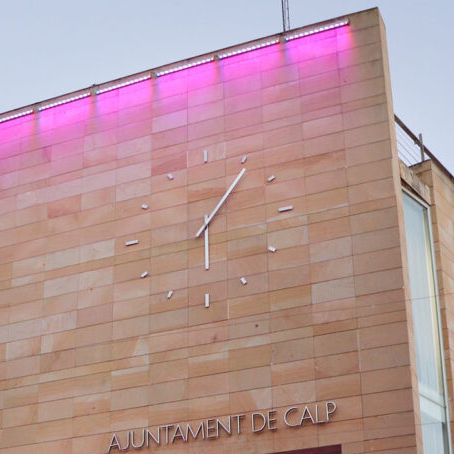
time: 6:06
